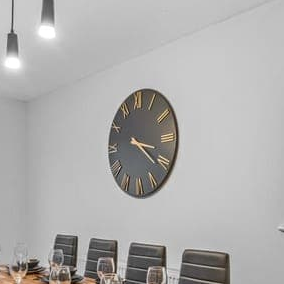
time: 3:21
